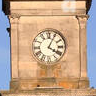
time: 4:04
